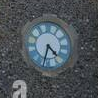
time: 4:33
